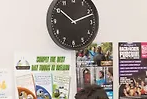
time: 10:11
